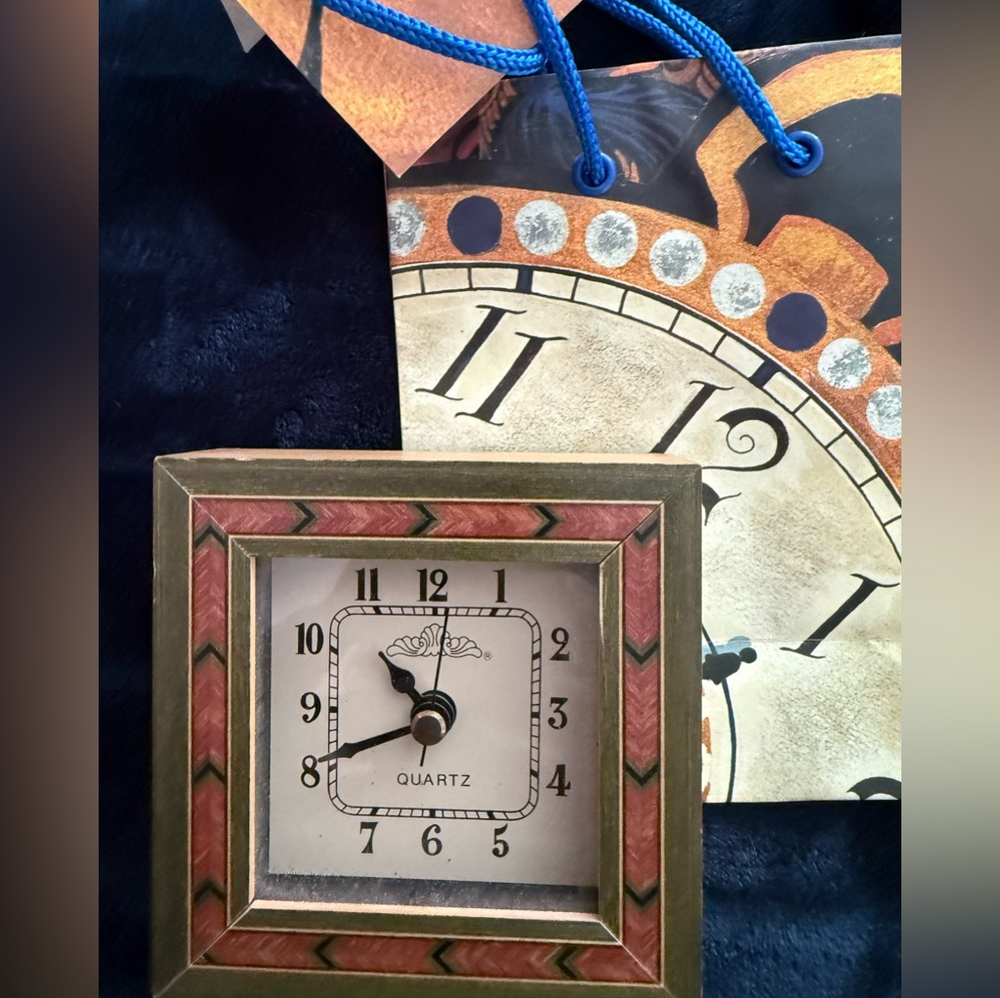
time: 10:41
